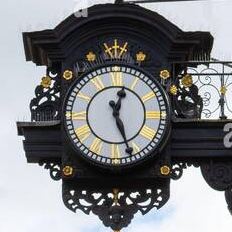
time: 12:26
